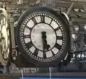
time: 5:30
